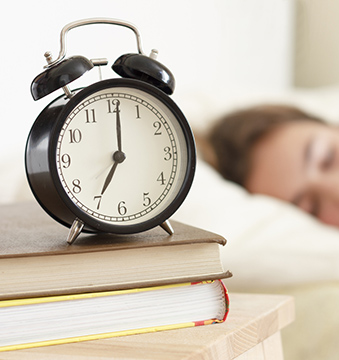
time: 7:00
